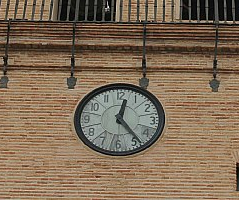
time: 12:23
